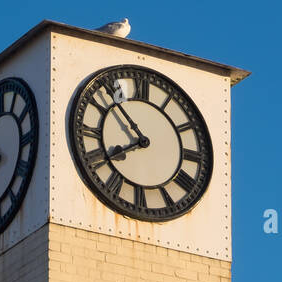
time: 7:52
